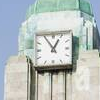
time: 12:55
